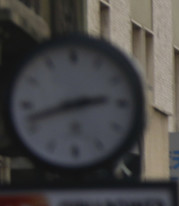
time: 2:42
